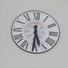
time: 5:30
